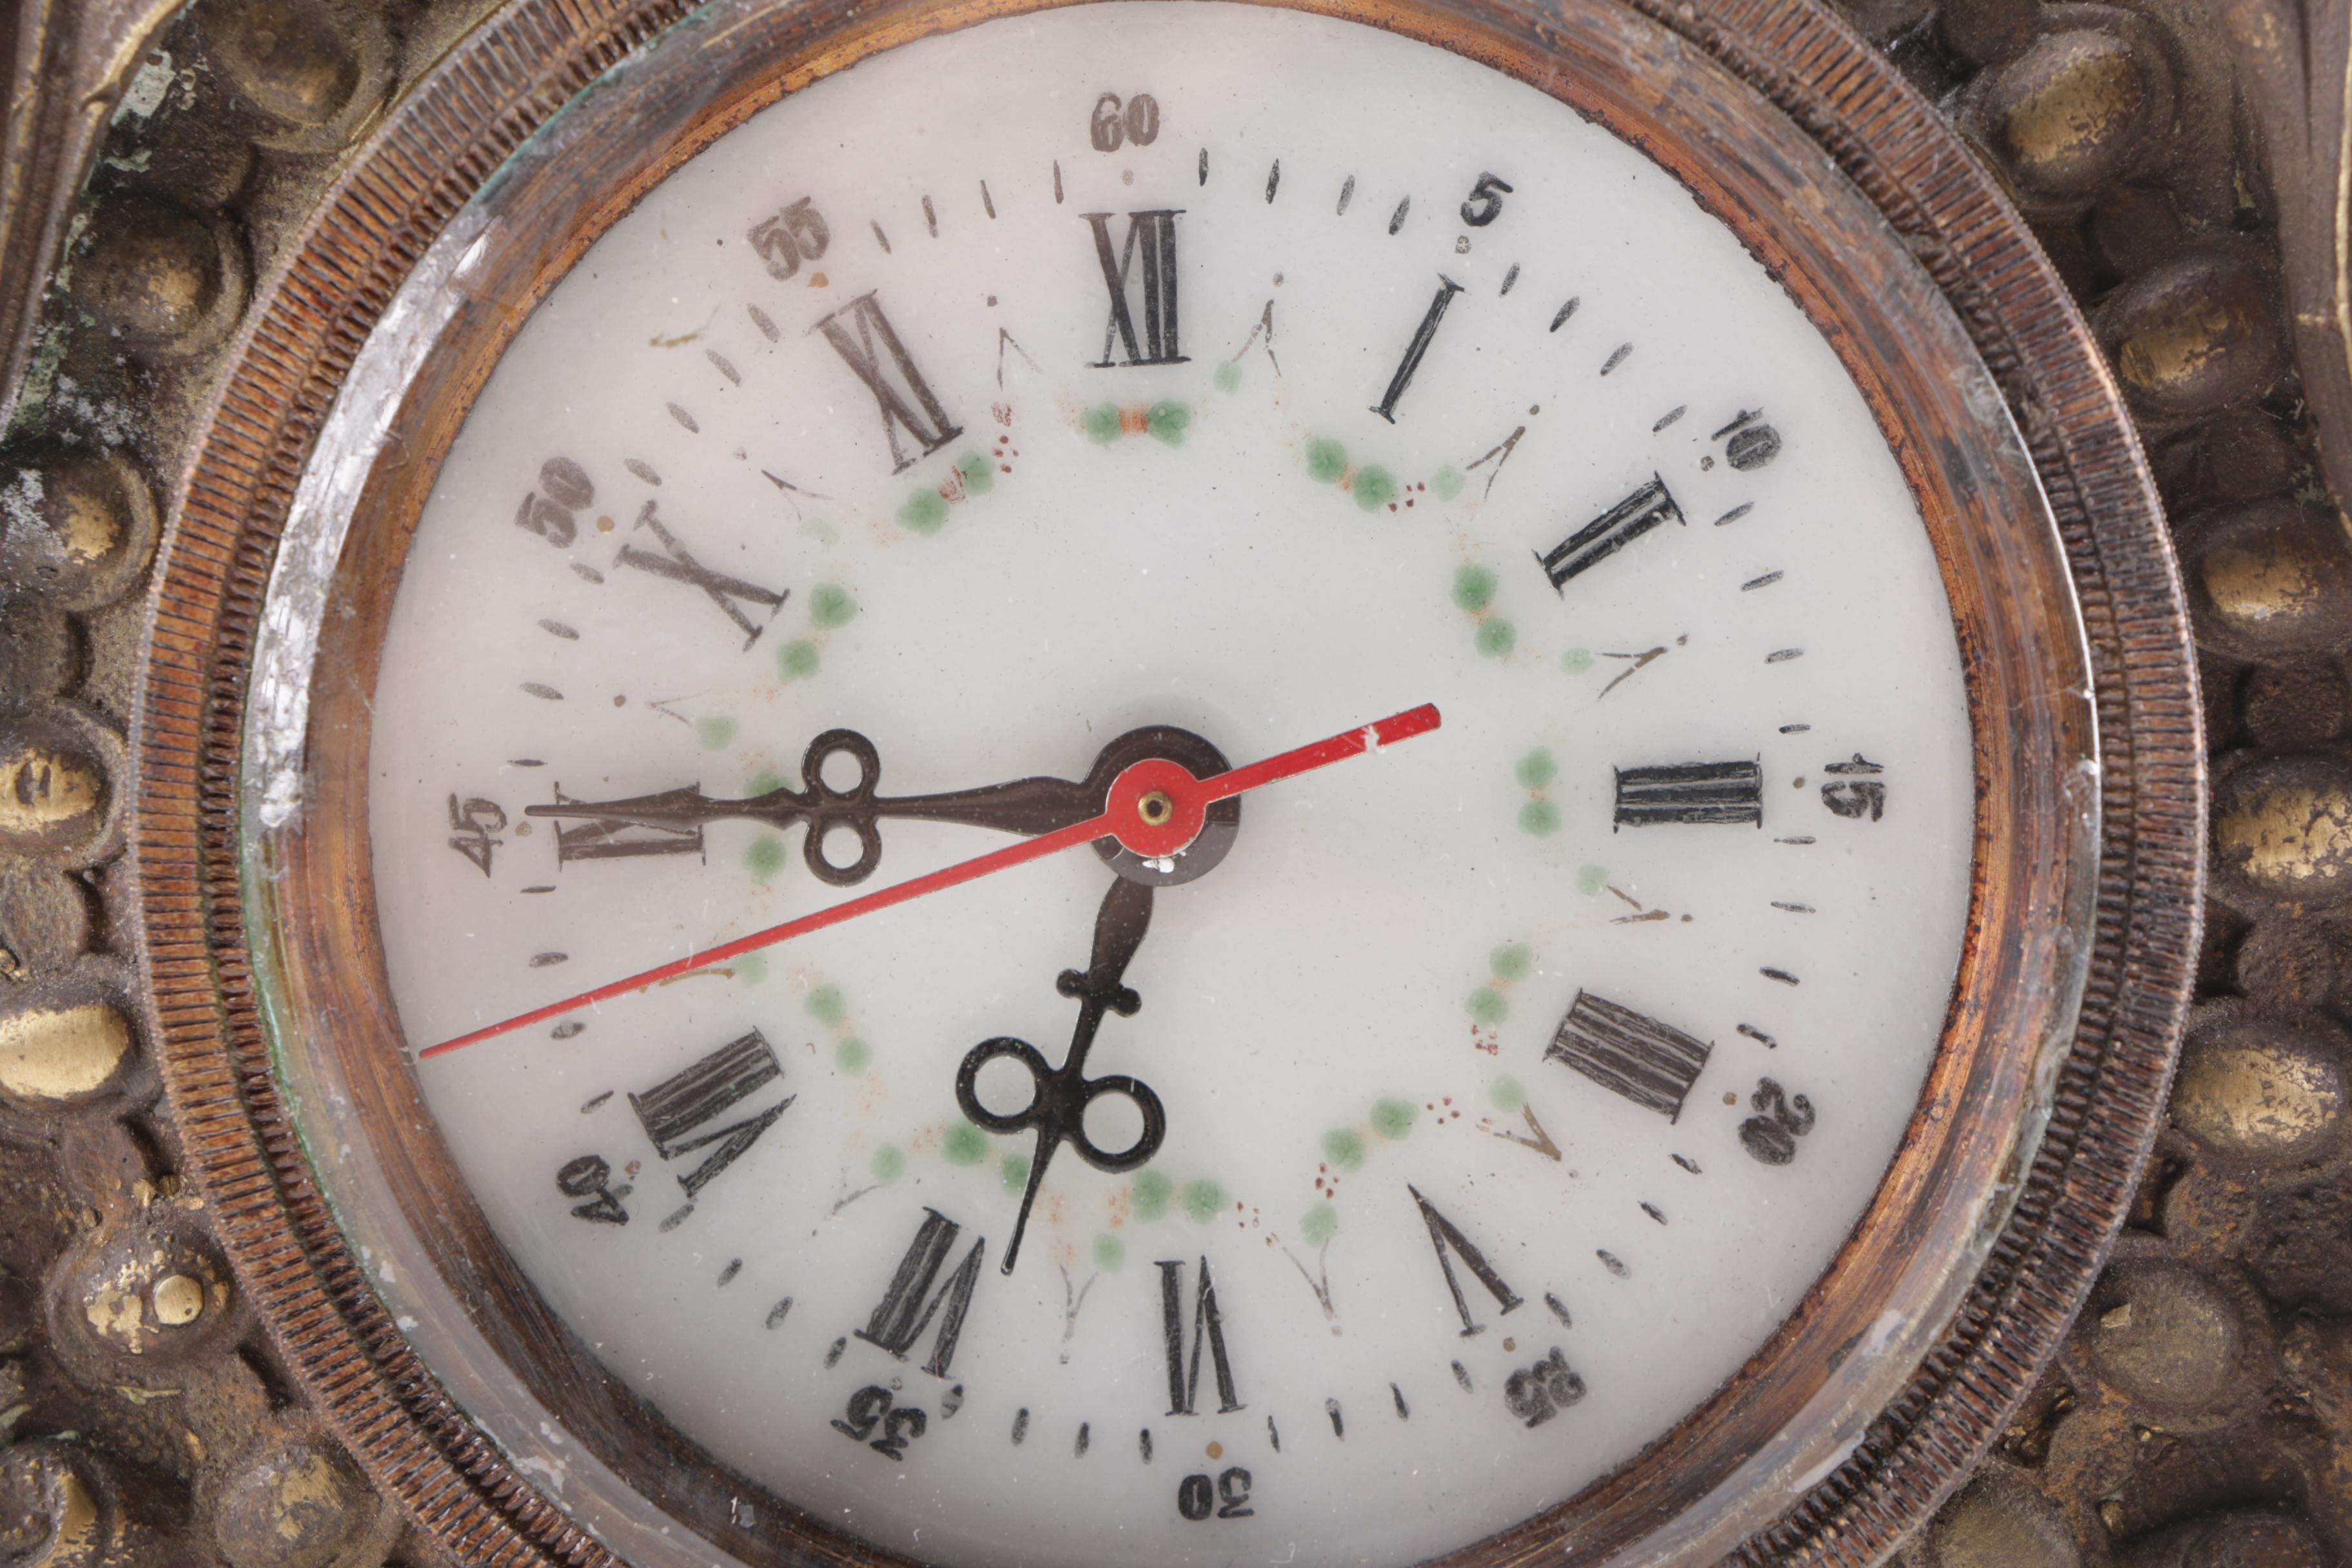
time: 6:45
